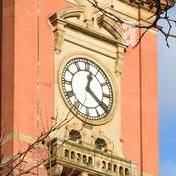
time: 12:21
